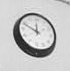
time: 11:48
